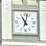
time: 11:02
